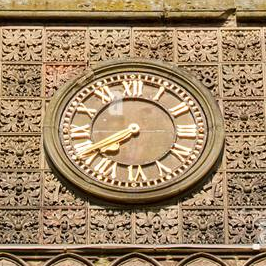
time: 7:40
